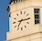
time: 7:15
